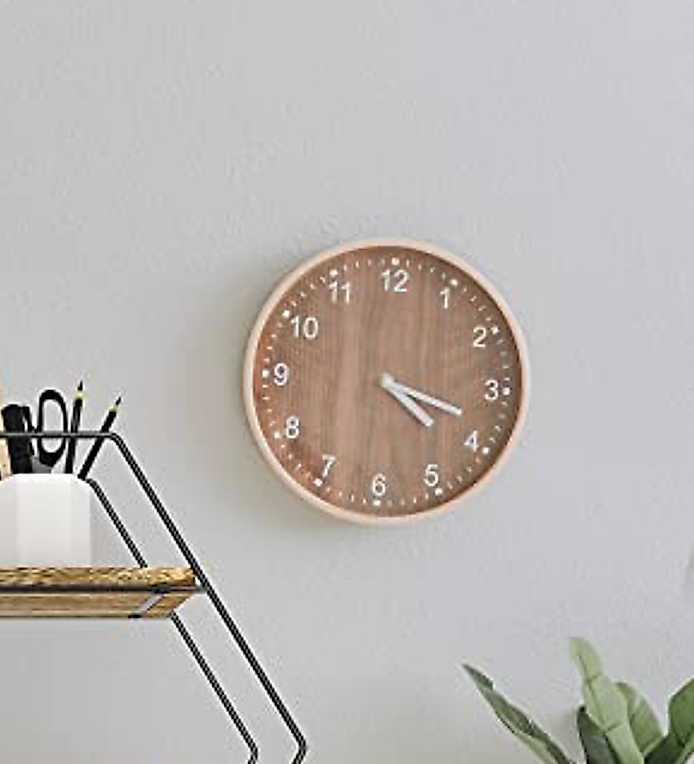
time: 4:18
